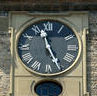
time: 11:25
